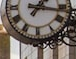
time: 1:16
